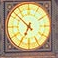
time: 6:52
